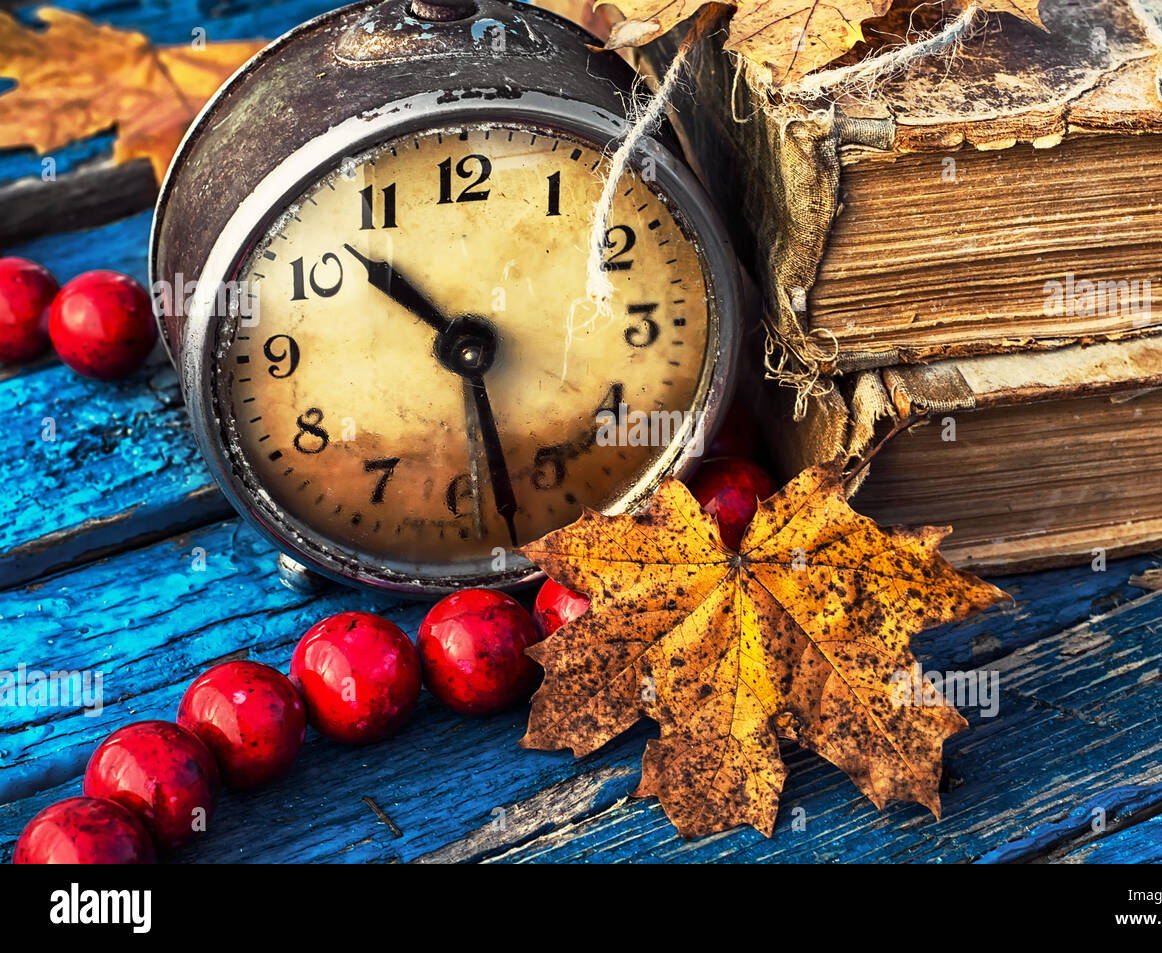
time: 10:28
